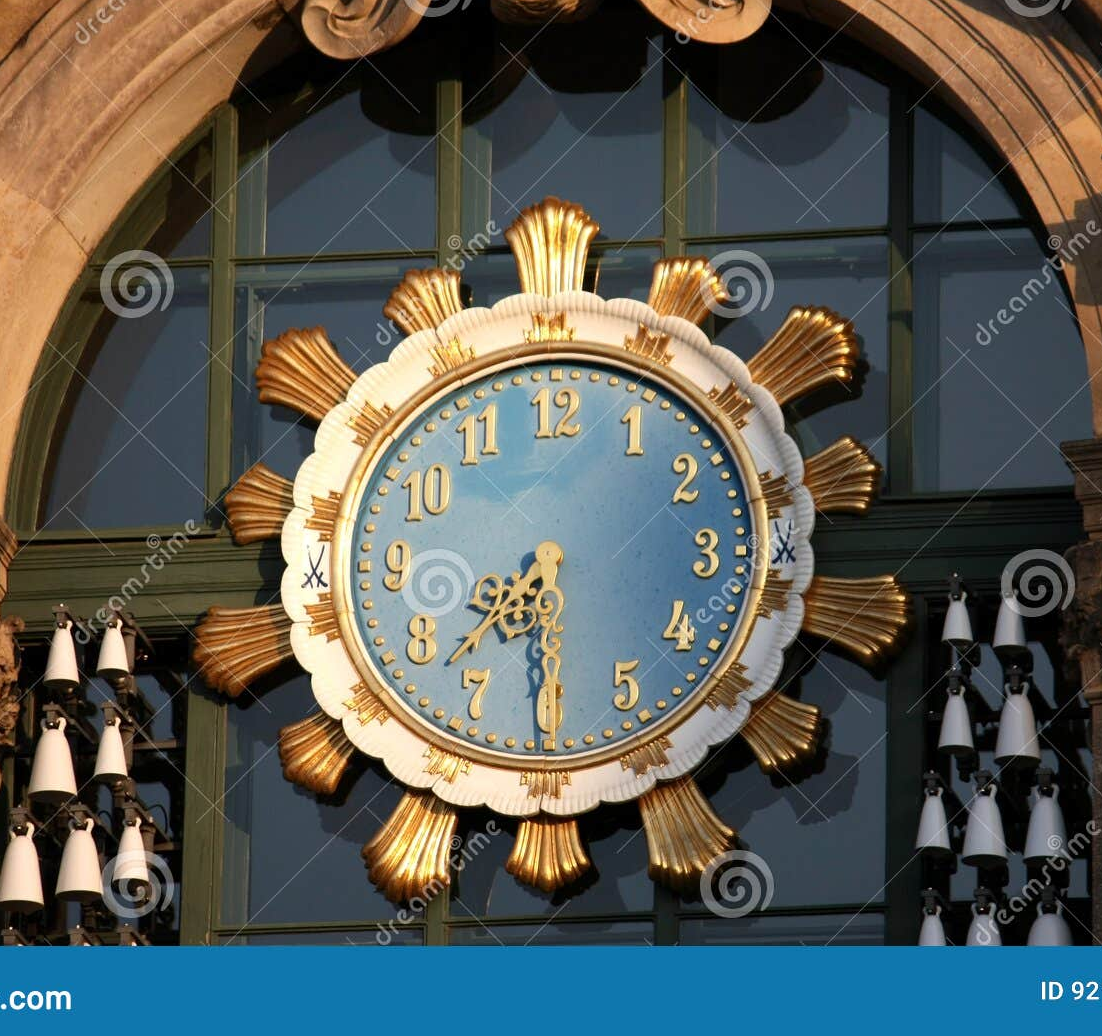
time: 7:29
